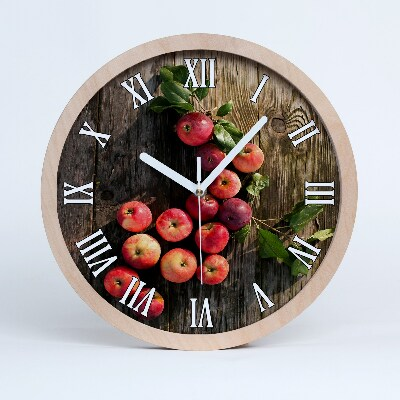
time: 10:07
